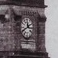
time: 11:40
